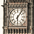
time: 6:06
